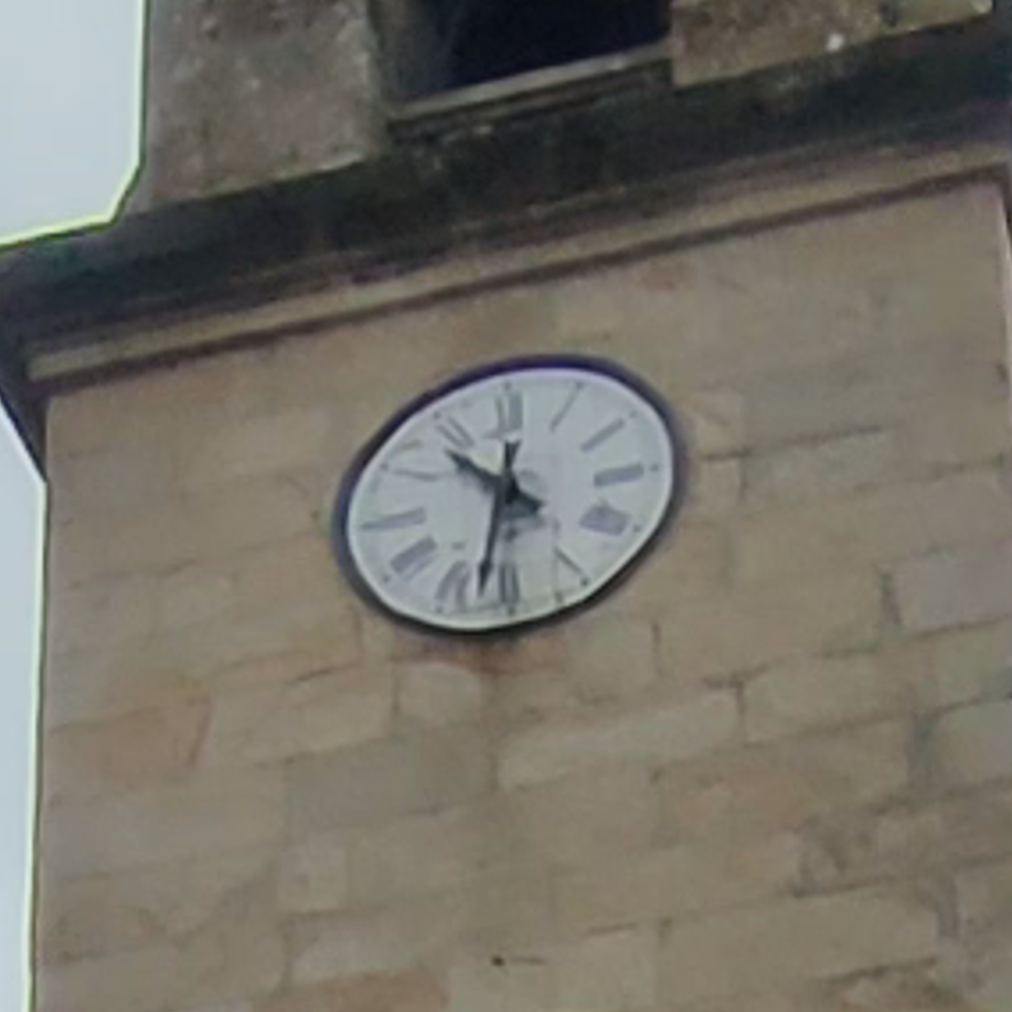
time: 10:32
